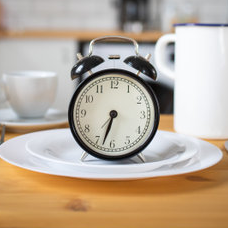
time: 6:32
